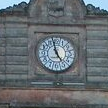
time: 4:57
